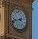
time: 1:42
